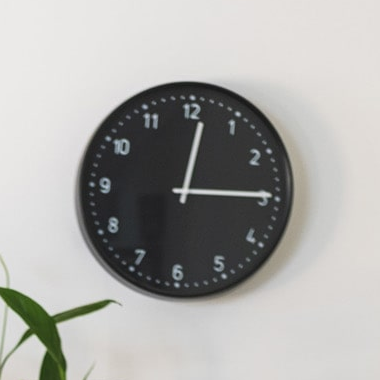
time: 12:14
